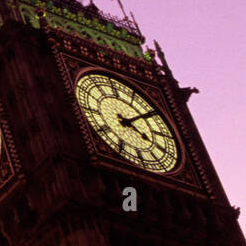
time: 4:09
